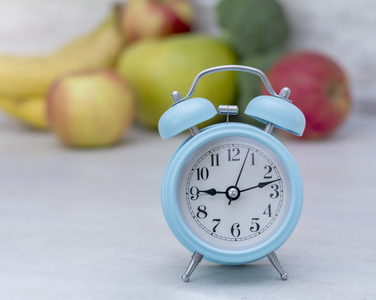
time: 9:12
